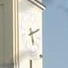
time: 5:11
